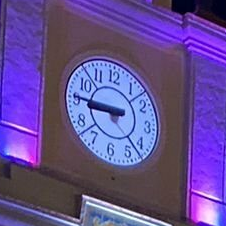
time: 8:45
